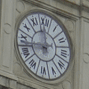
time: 11:42
